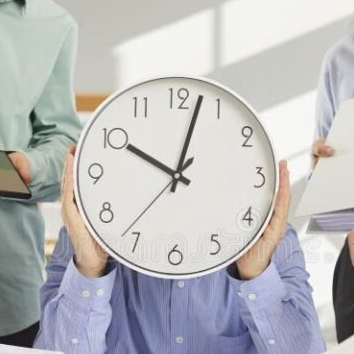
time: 10:02
